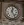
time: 12:24
